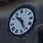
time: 10:26
